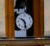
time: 10:28
